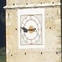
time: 8:46
